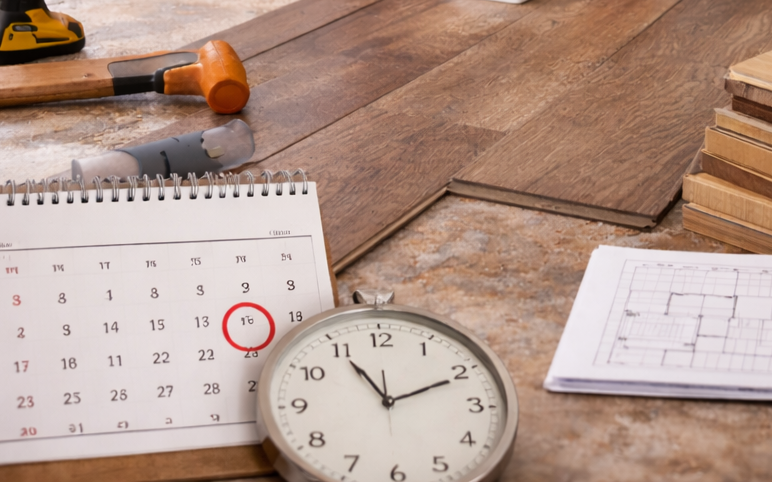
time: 11:10
